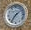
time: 7:08
